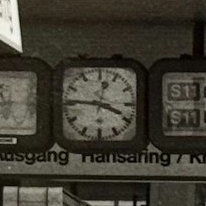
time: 3:45
